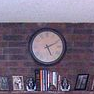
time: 5:11
